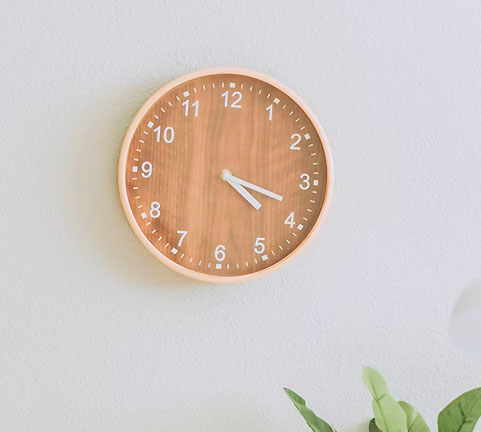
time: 4:18
